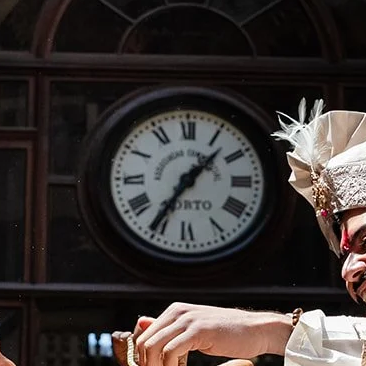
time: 1:35
